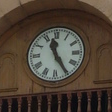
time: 11:25
